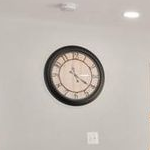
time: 4:20
